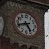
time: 4:42
